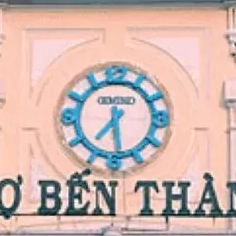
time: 7:28
